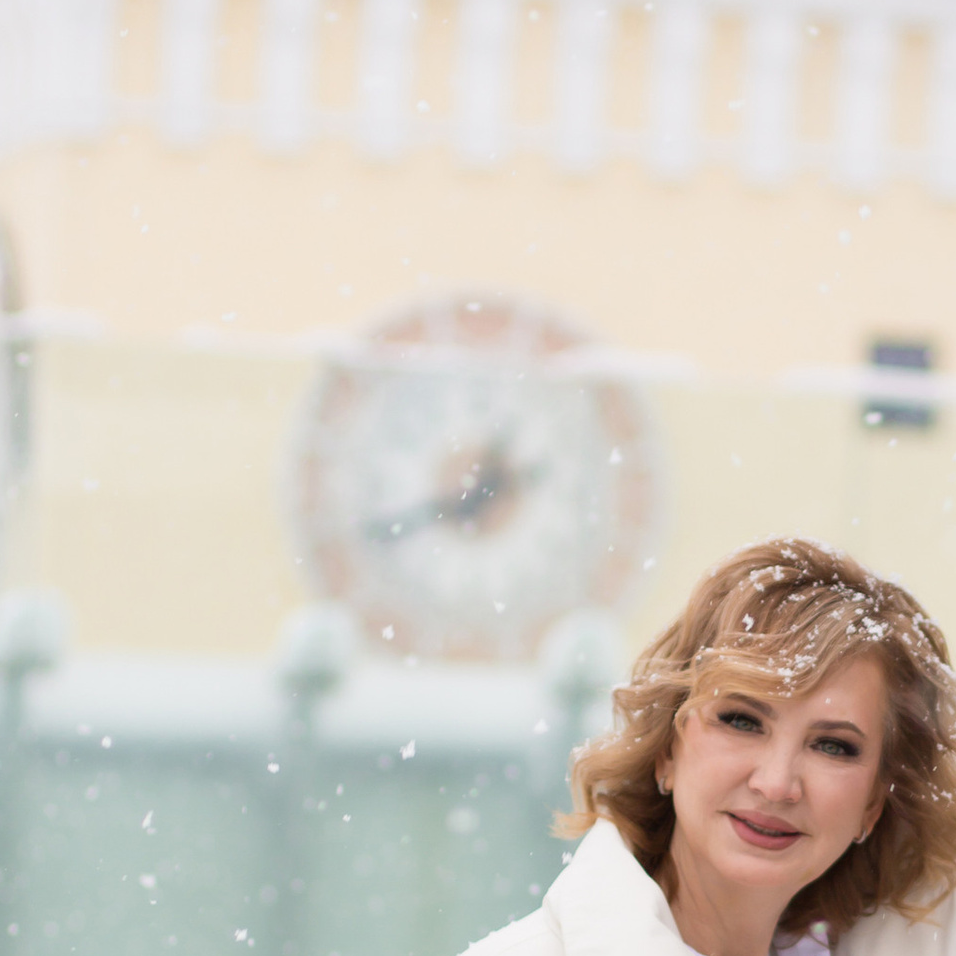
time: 7:40
